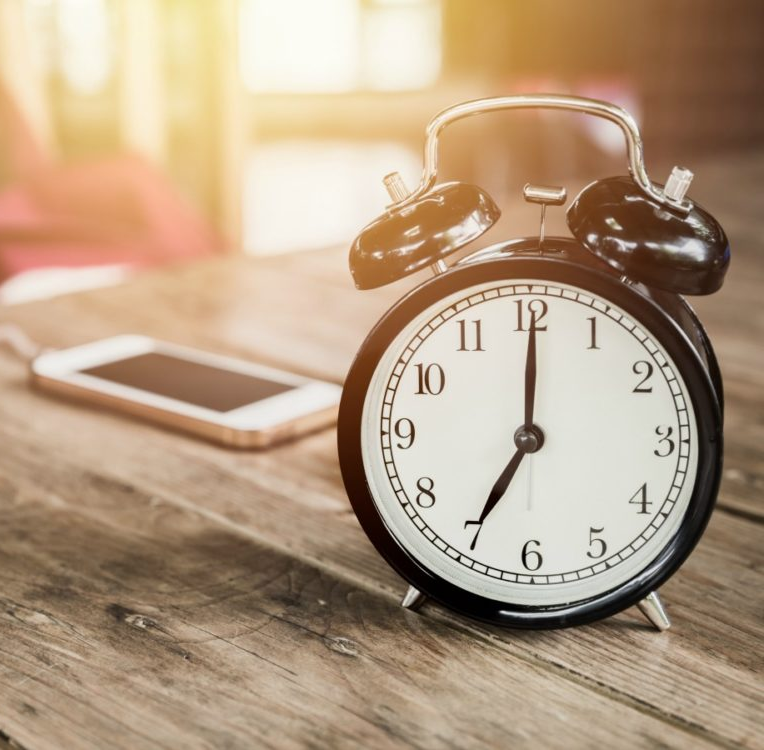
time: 7:00
